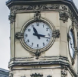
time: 11:17
